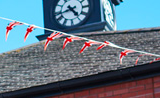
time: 4:42
